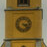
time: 3:22
